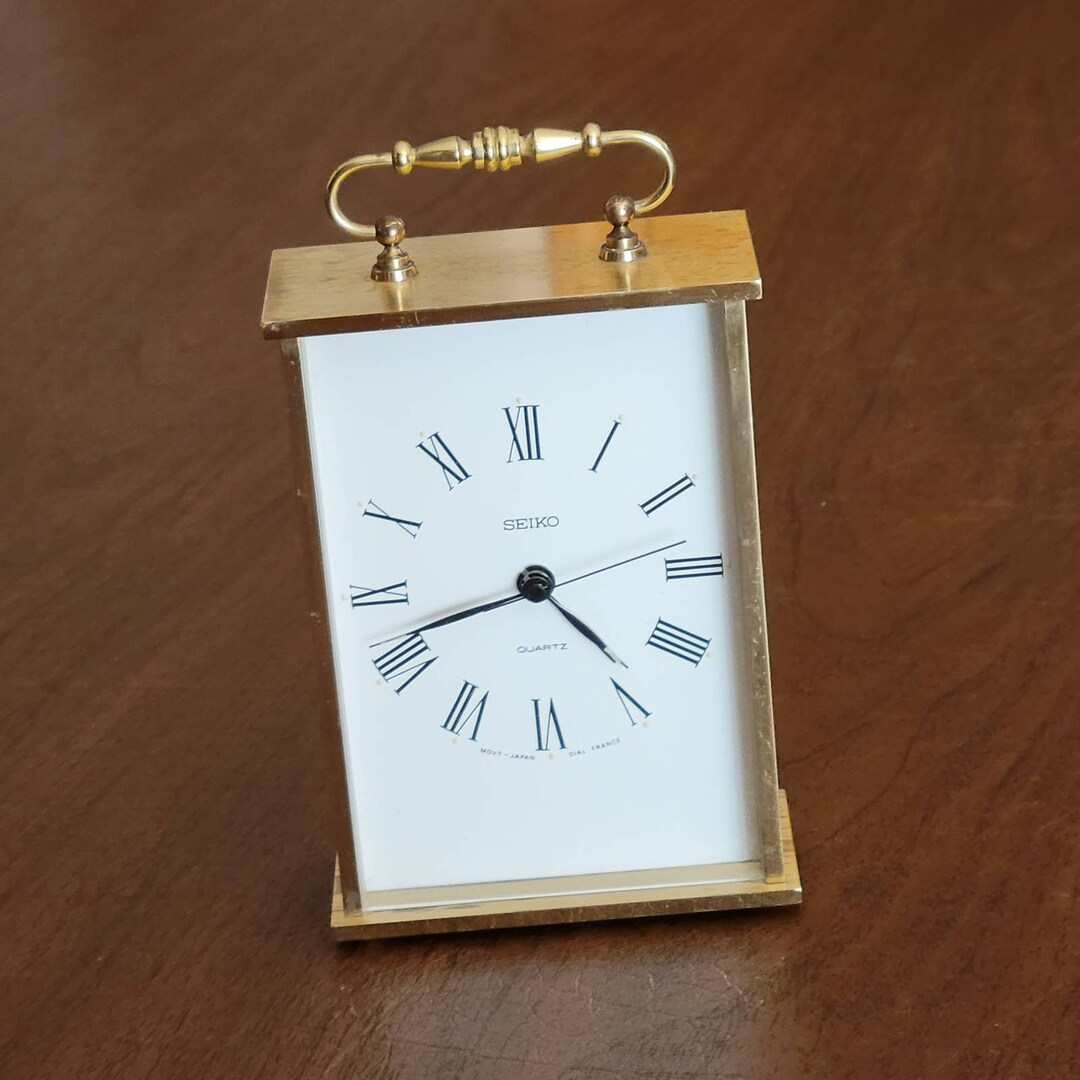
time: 4:41
